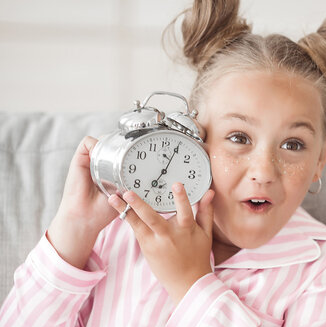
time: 7:04
